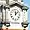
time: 12:07
